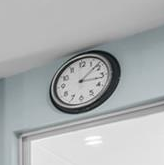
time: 3:08
